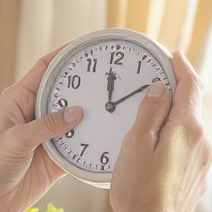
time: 12:09
